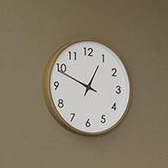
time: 12:48
